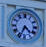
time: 4:34
